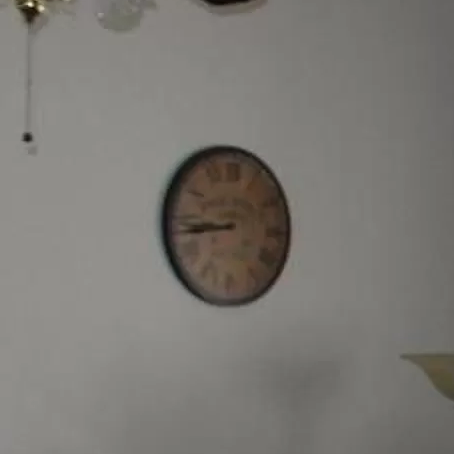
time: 8:43
